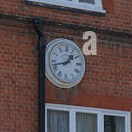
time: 1:42
